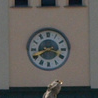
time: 3:40
